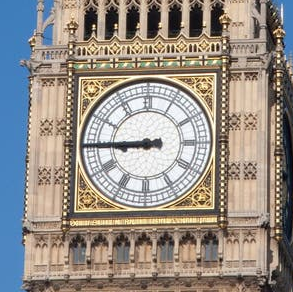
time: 8:44
